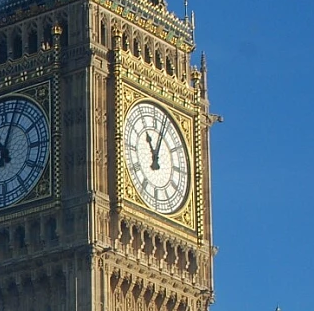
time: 11:03
